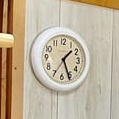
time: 1:26
